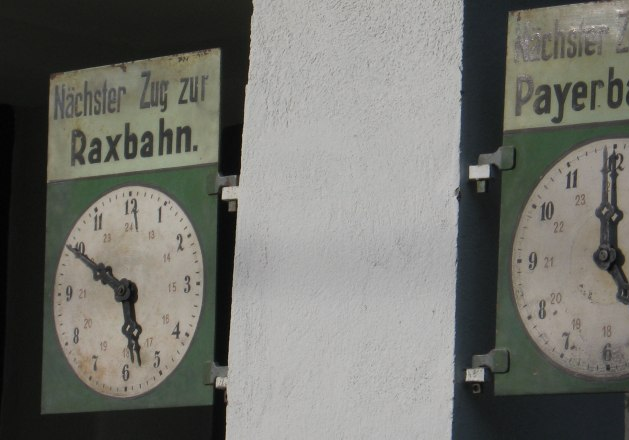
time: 5:49
